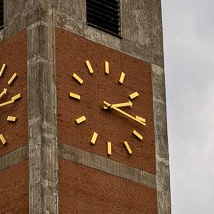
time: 2:16
